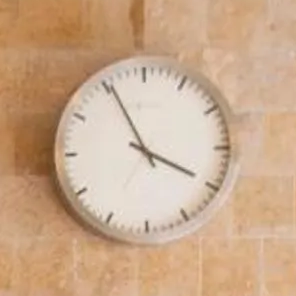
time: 3:55
